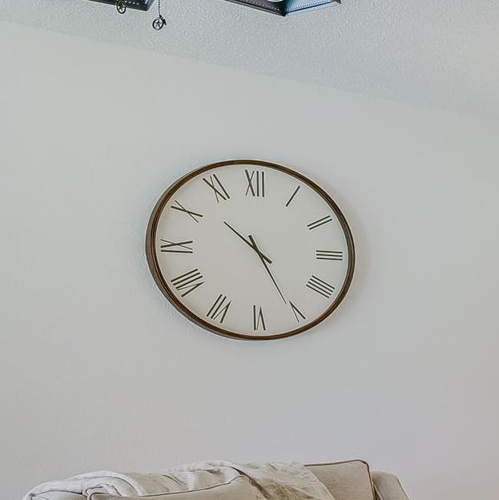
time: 10:25
